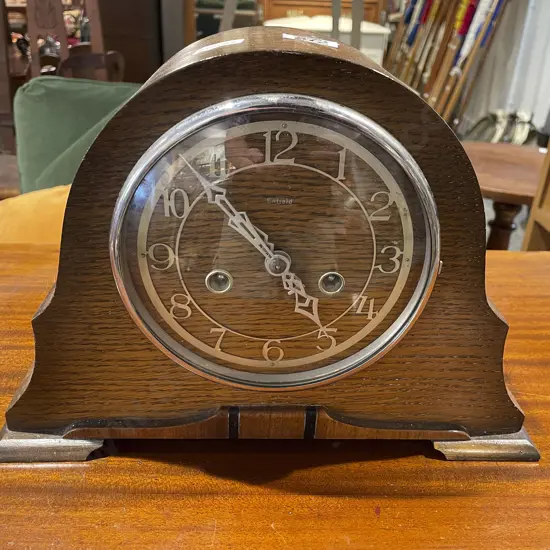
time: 4:53
